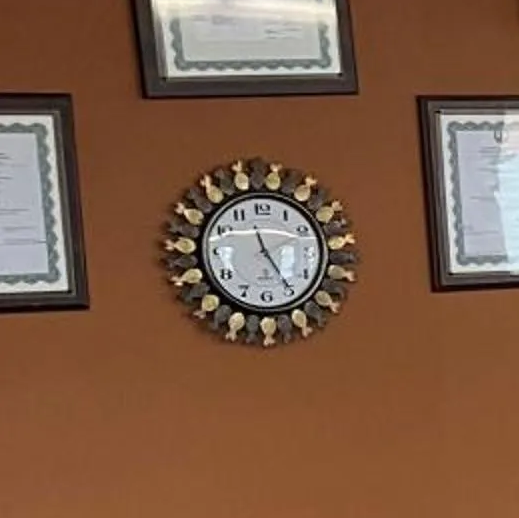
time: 11:24
